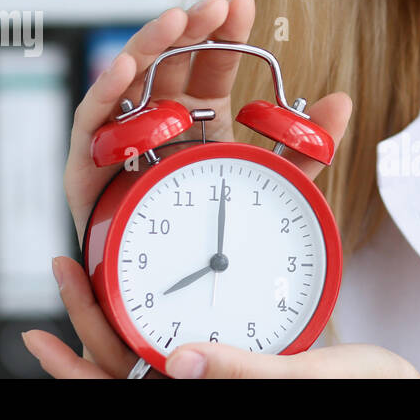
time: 8:00
